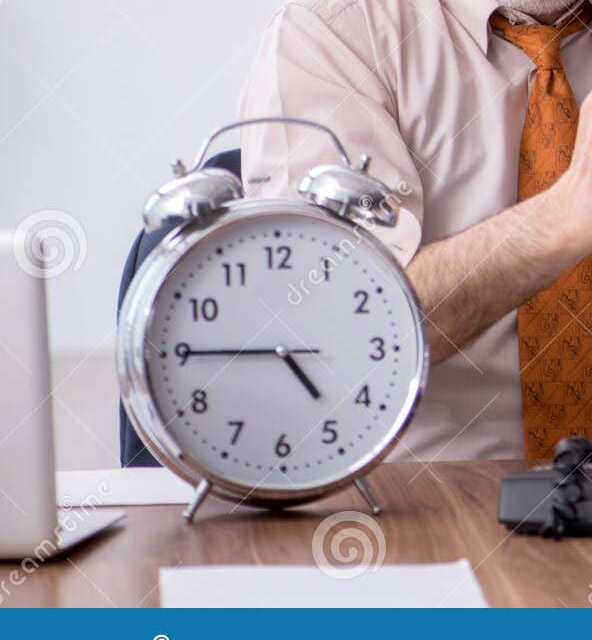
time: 4:45
